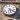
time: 5:18
